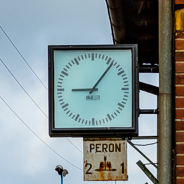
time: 9:06
